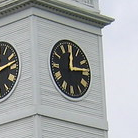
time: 12:13
